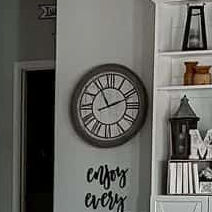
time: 11:11
